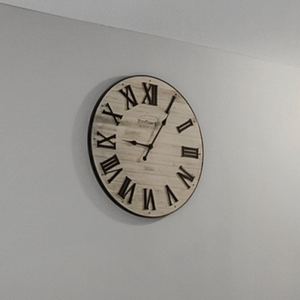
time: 9:05
